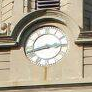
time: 2:42
